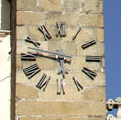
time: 5:46
